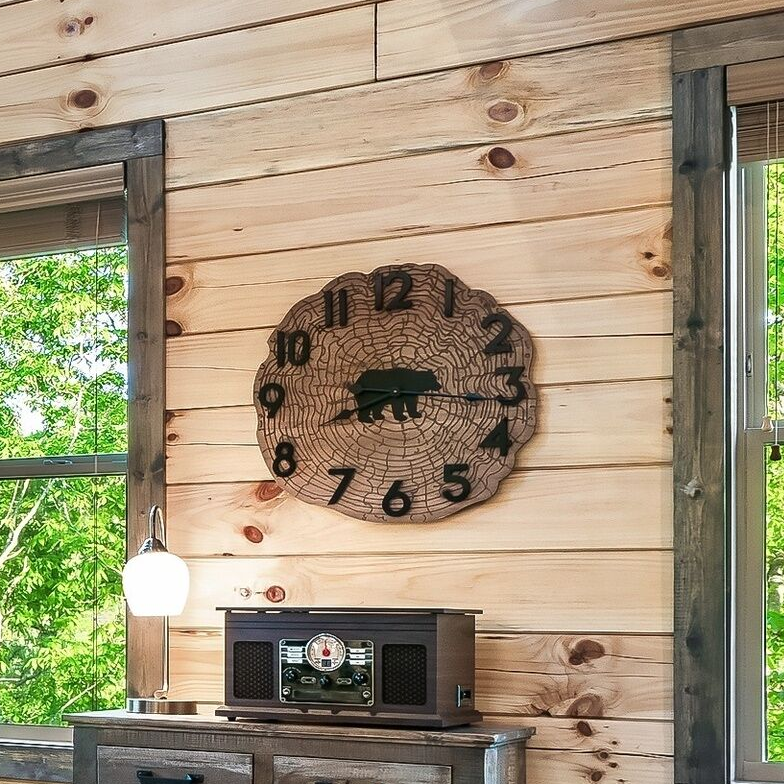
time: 8:16
